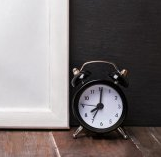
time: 8:01
